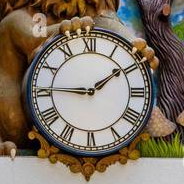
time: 1:45
